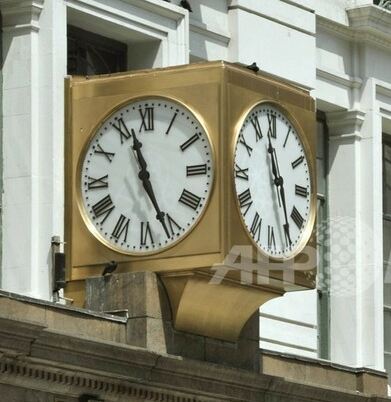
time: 11:25
